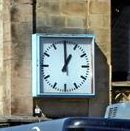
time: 1:00
